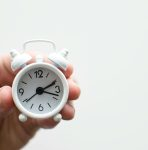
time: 2:18
